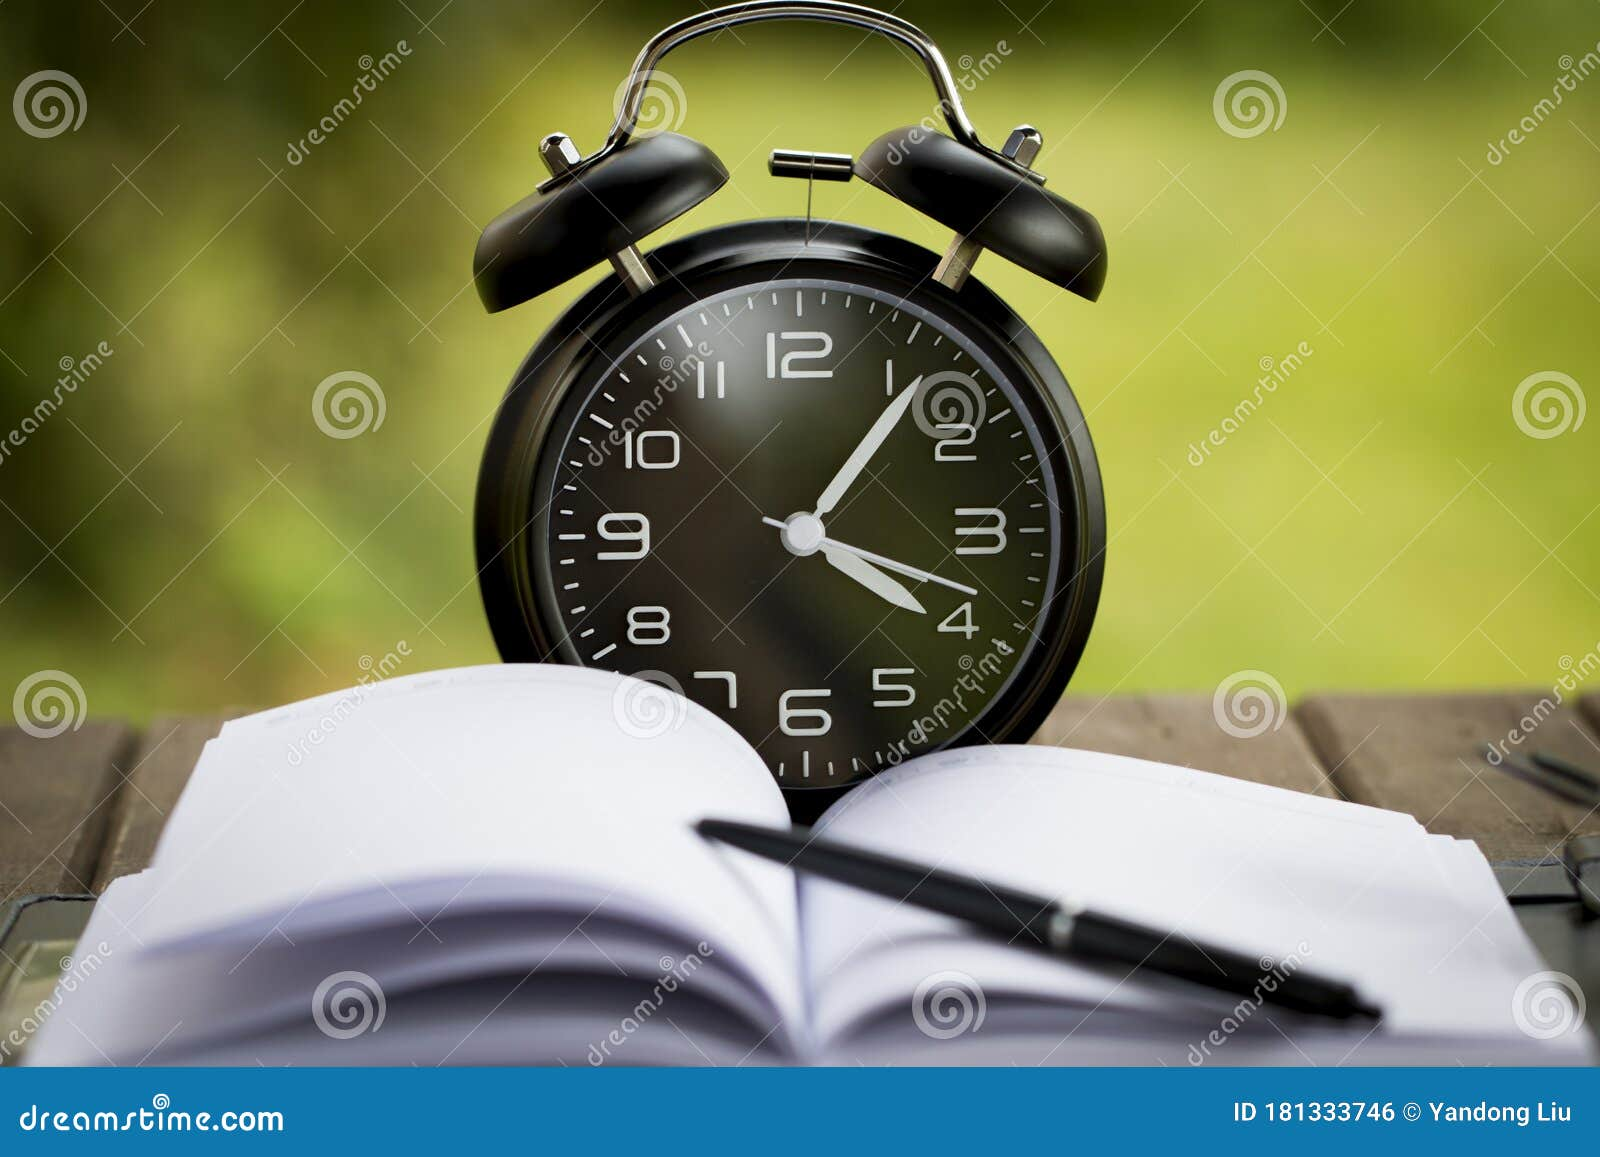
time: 4:06
